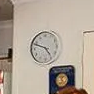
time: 4:48
